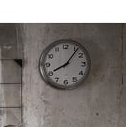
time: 8:06
